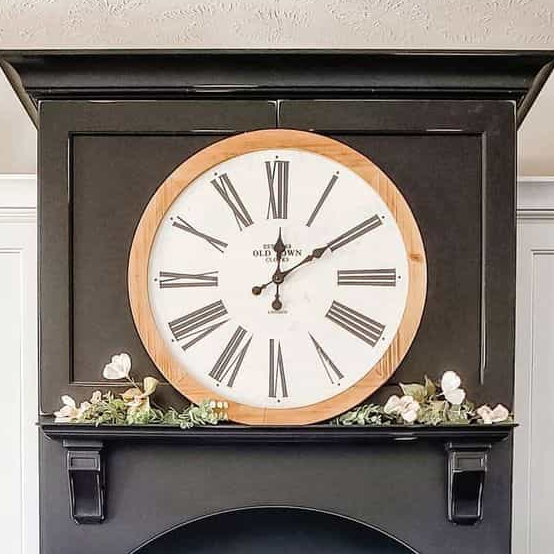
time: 12:09
